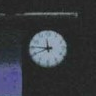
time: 11:45
